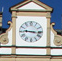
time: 9:16
